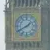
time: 1:40
